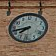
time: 7:42
